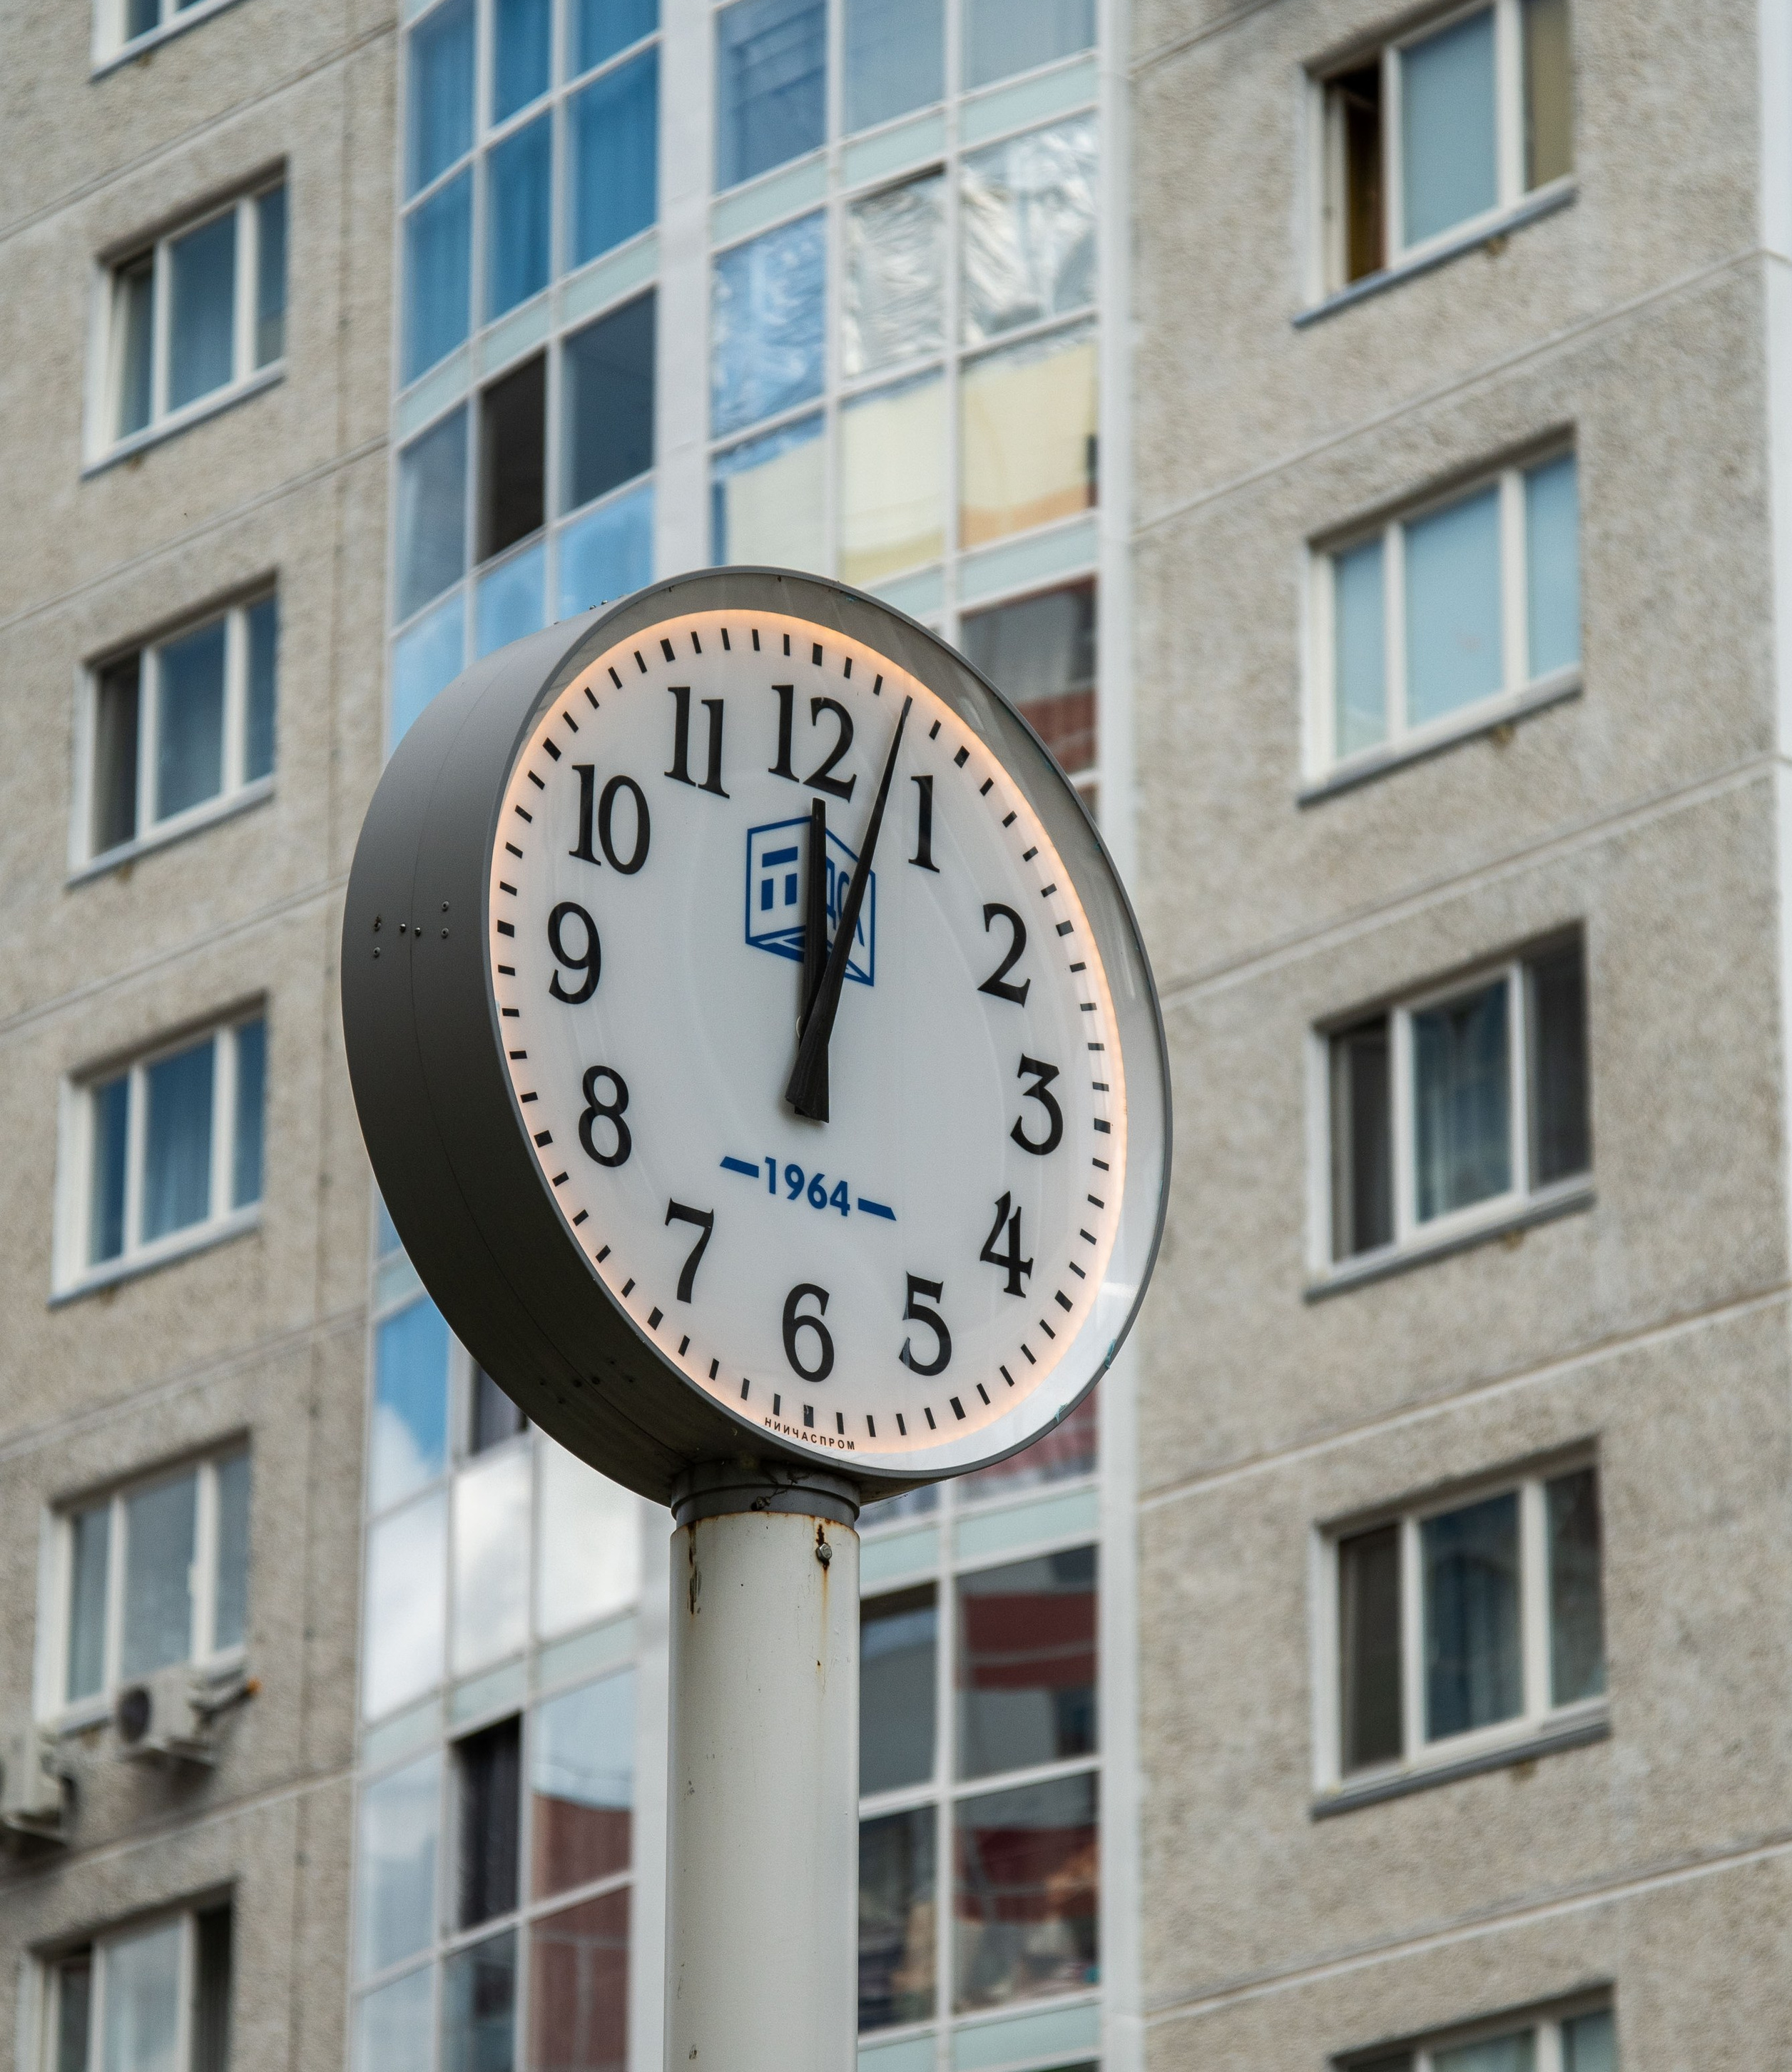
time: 12:03
